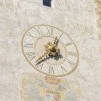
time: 12:37
